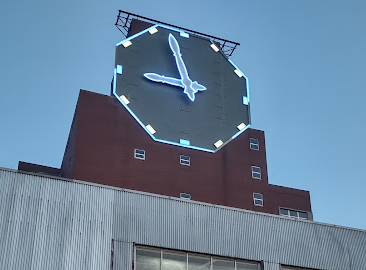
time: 8:57
